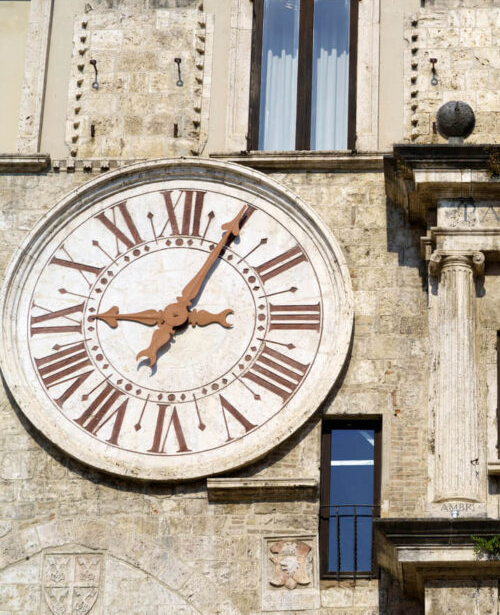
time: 9:04
